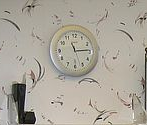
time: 11:14
